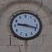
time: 9:18
